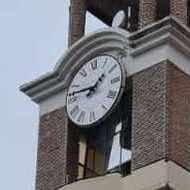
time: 1:46
